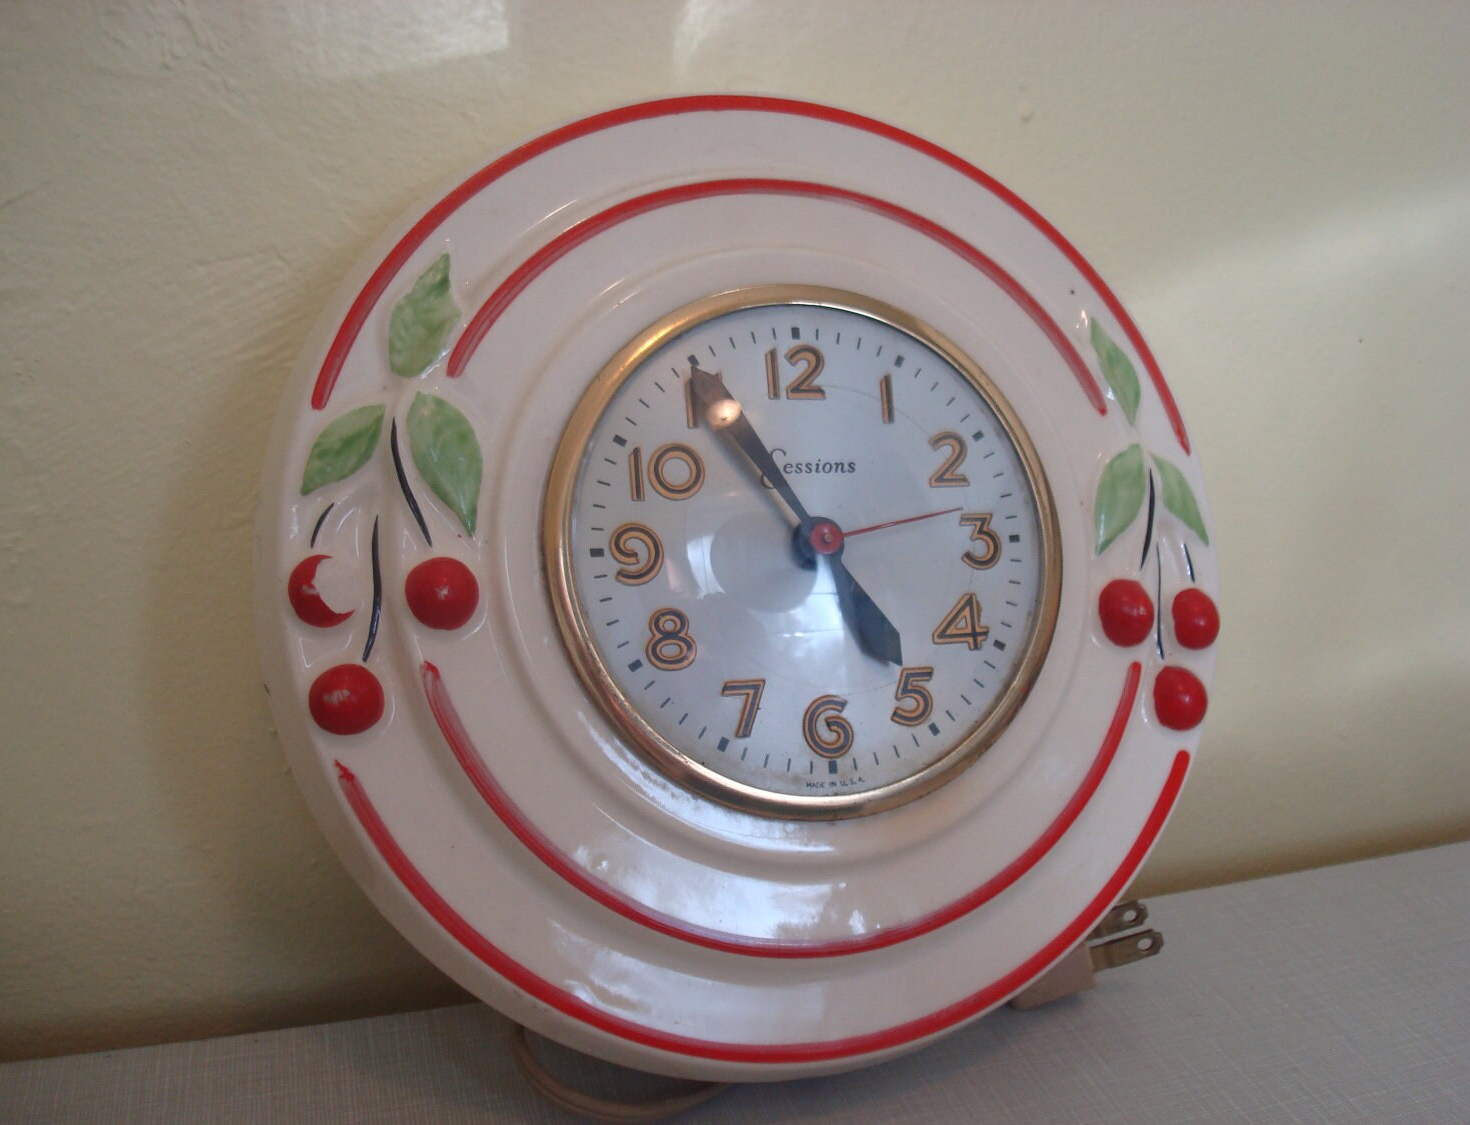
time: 4:54
